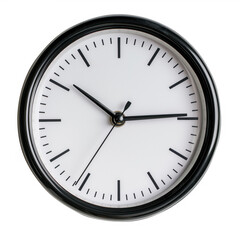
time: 10:14
